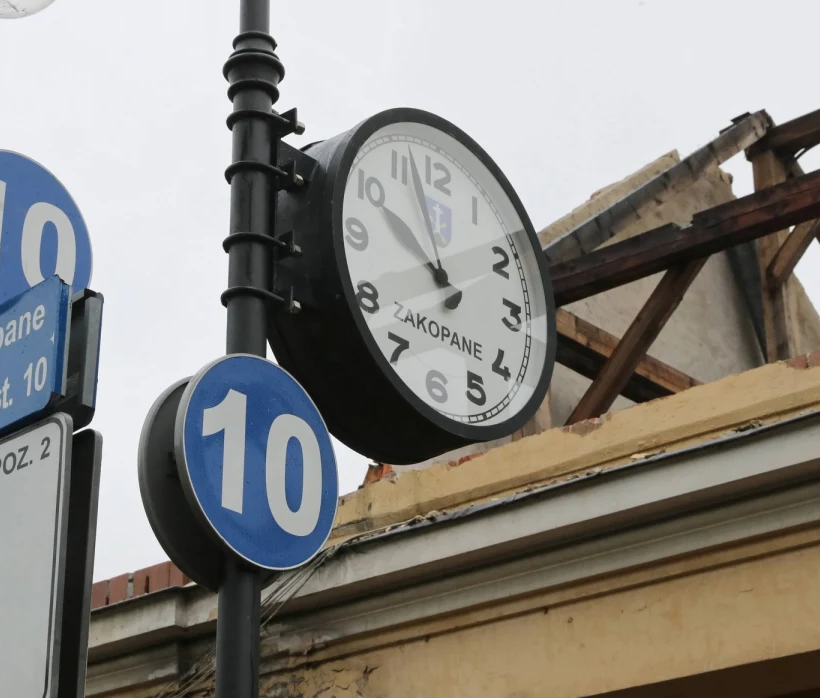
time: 9:57
